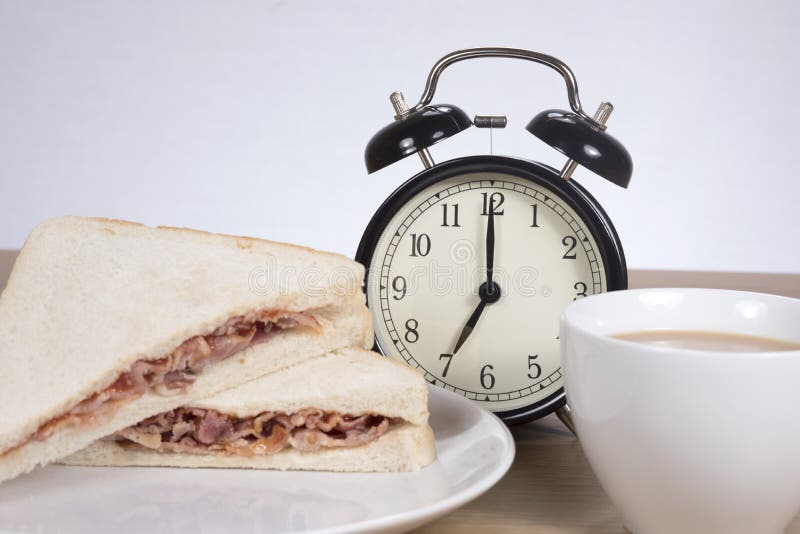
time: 7:00
